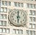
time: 5:59
